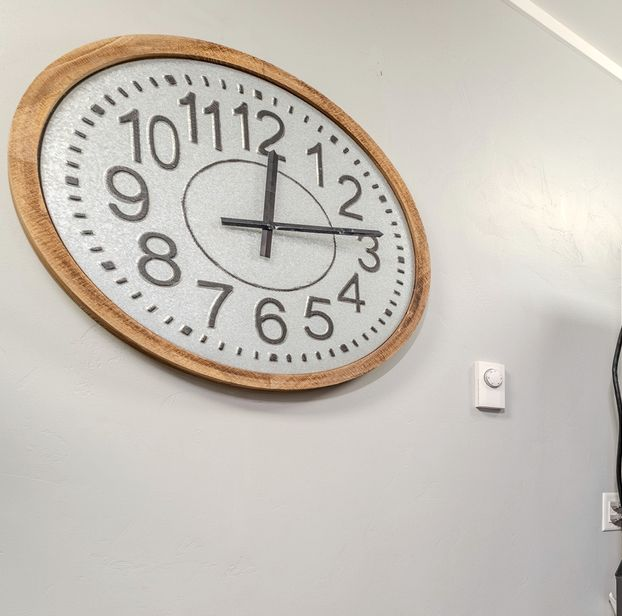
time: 12:13
